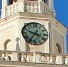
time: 3:35
